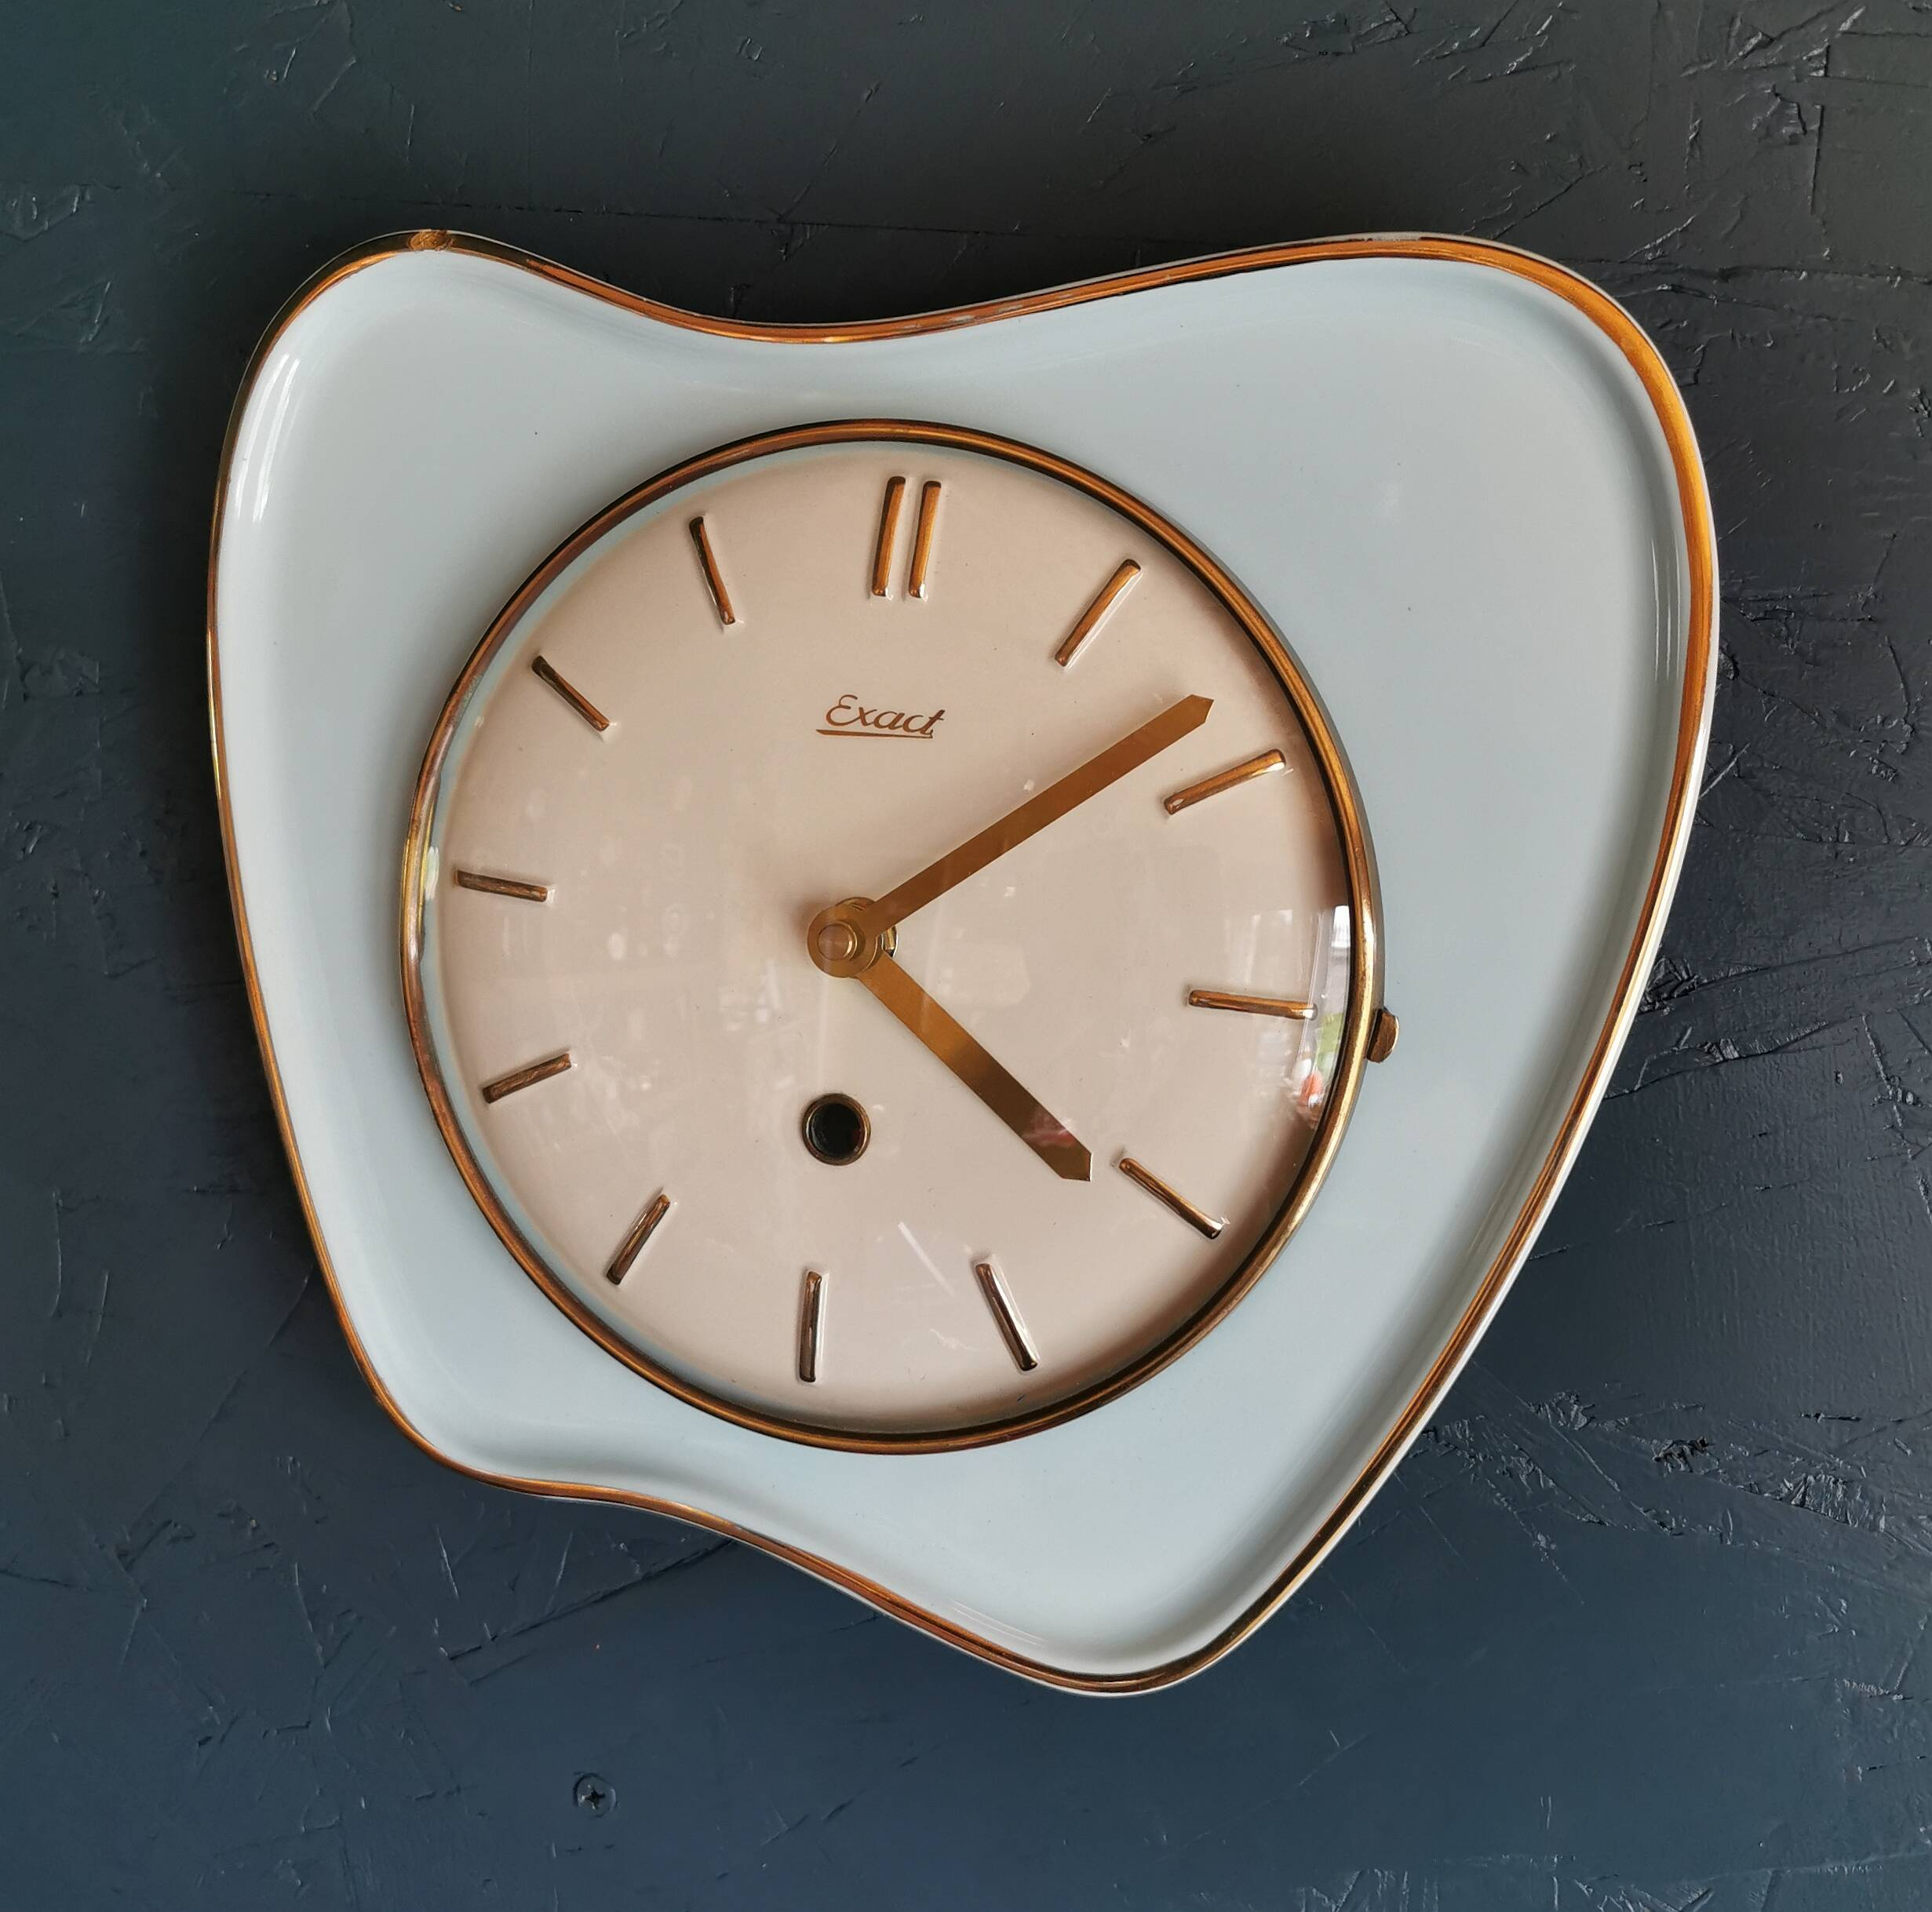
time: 4:08
